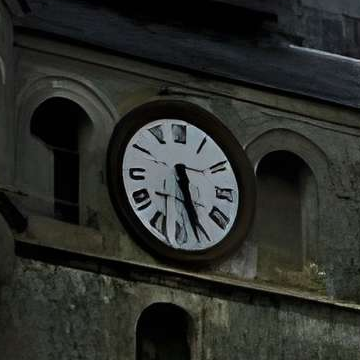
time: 5:26
